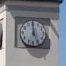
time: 4:59
